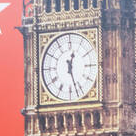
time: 12:27
